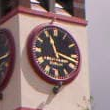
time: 11:17
